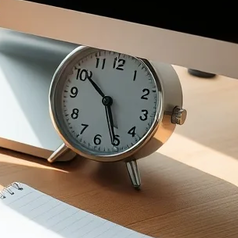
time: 4:50
